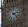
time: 2:23
